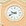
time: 9:41
